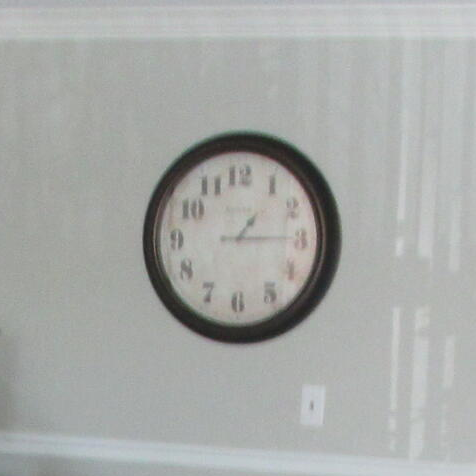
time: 1:14
